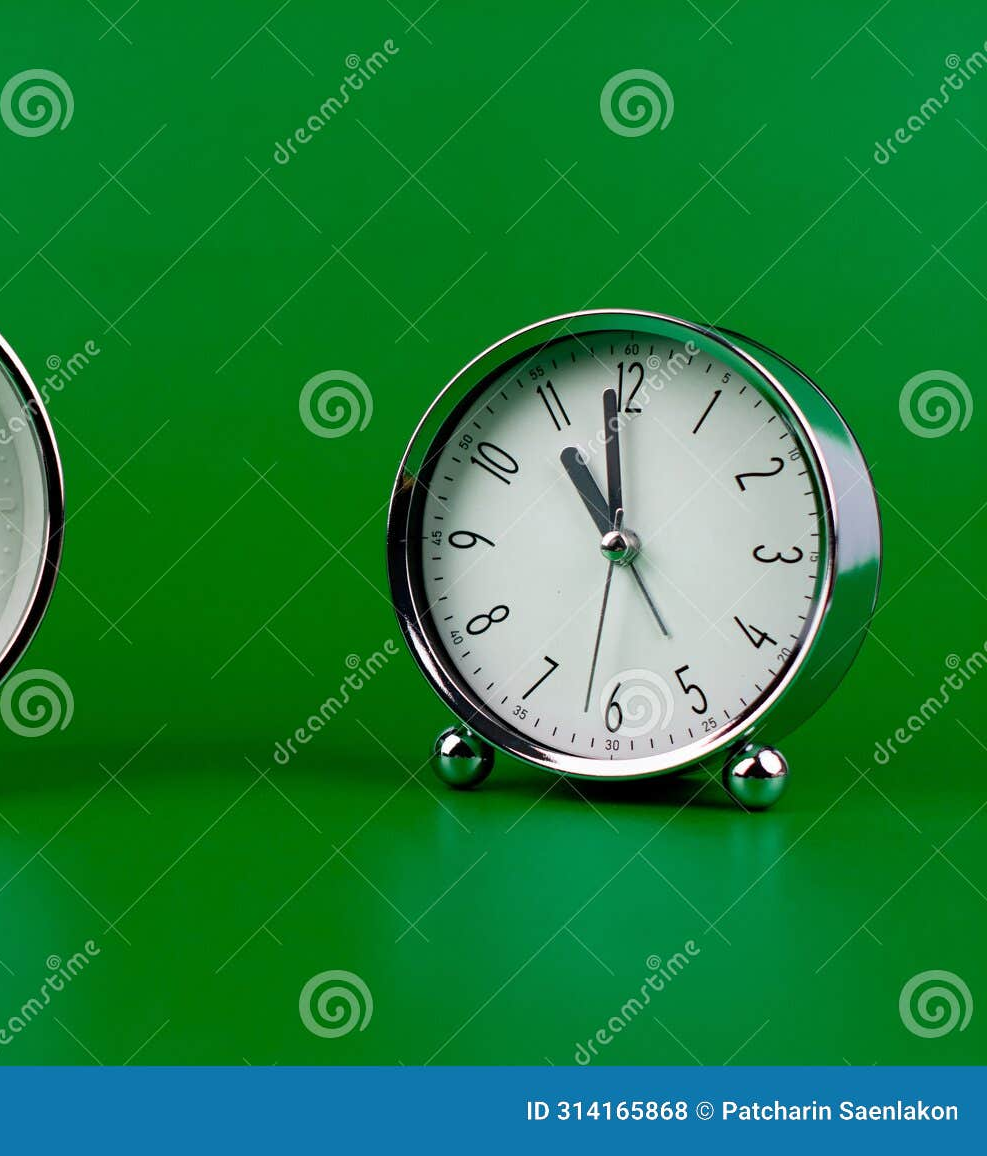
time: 10:58
